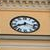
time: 8:17
